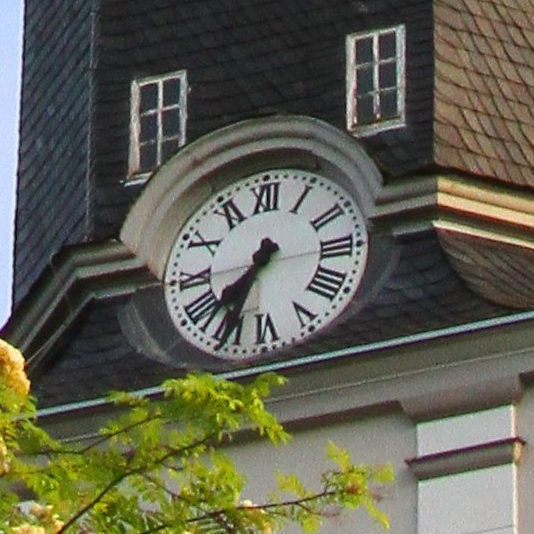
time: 7:34
